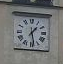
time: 1:28
